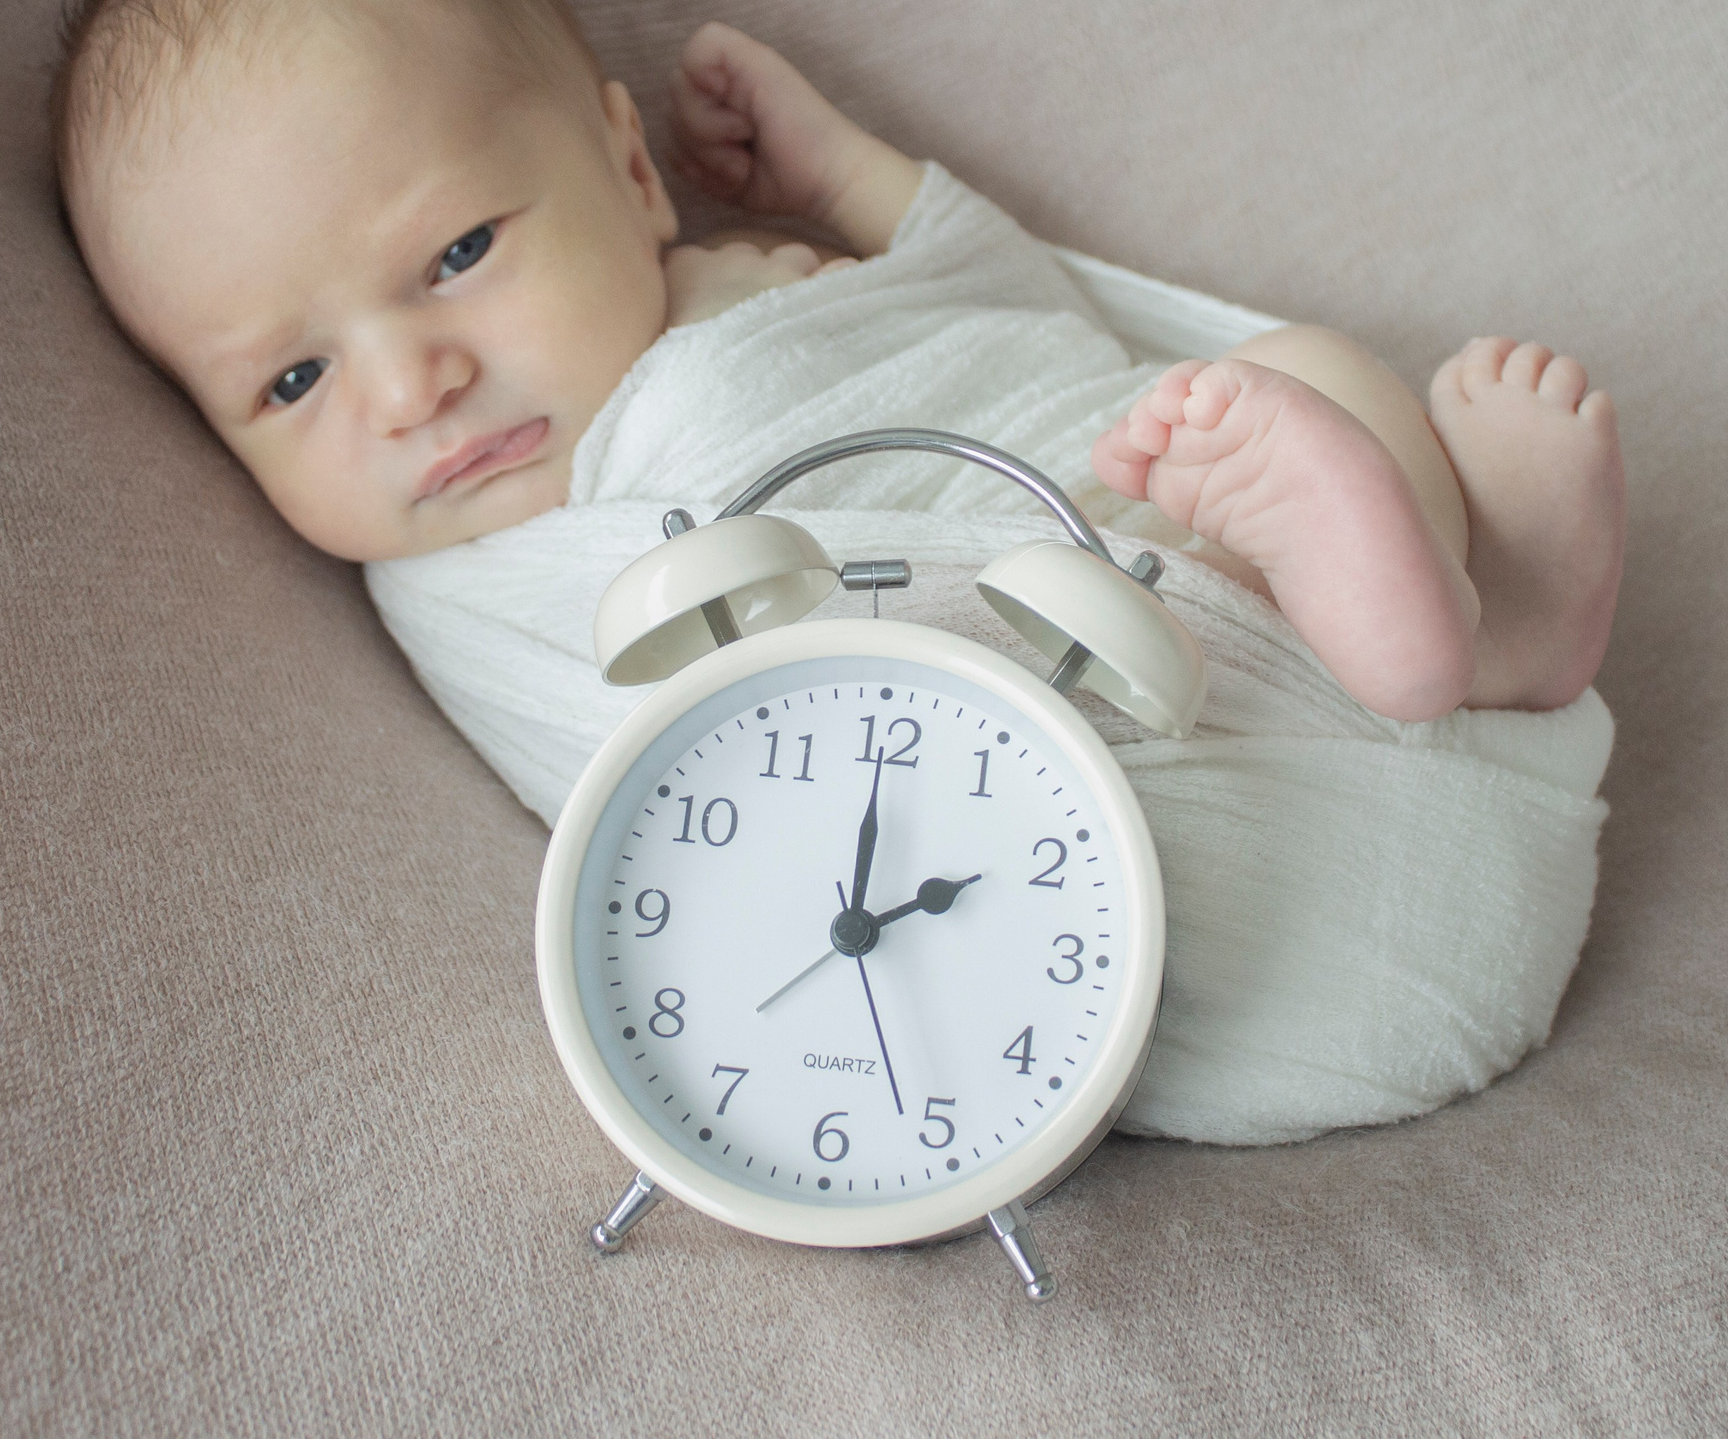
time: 2:00
